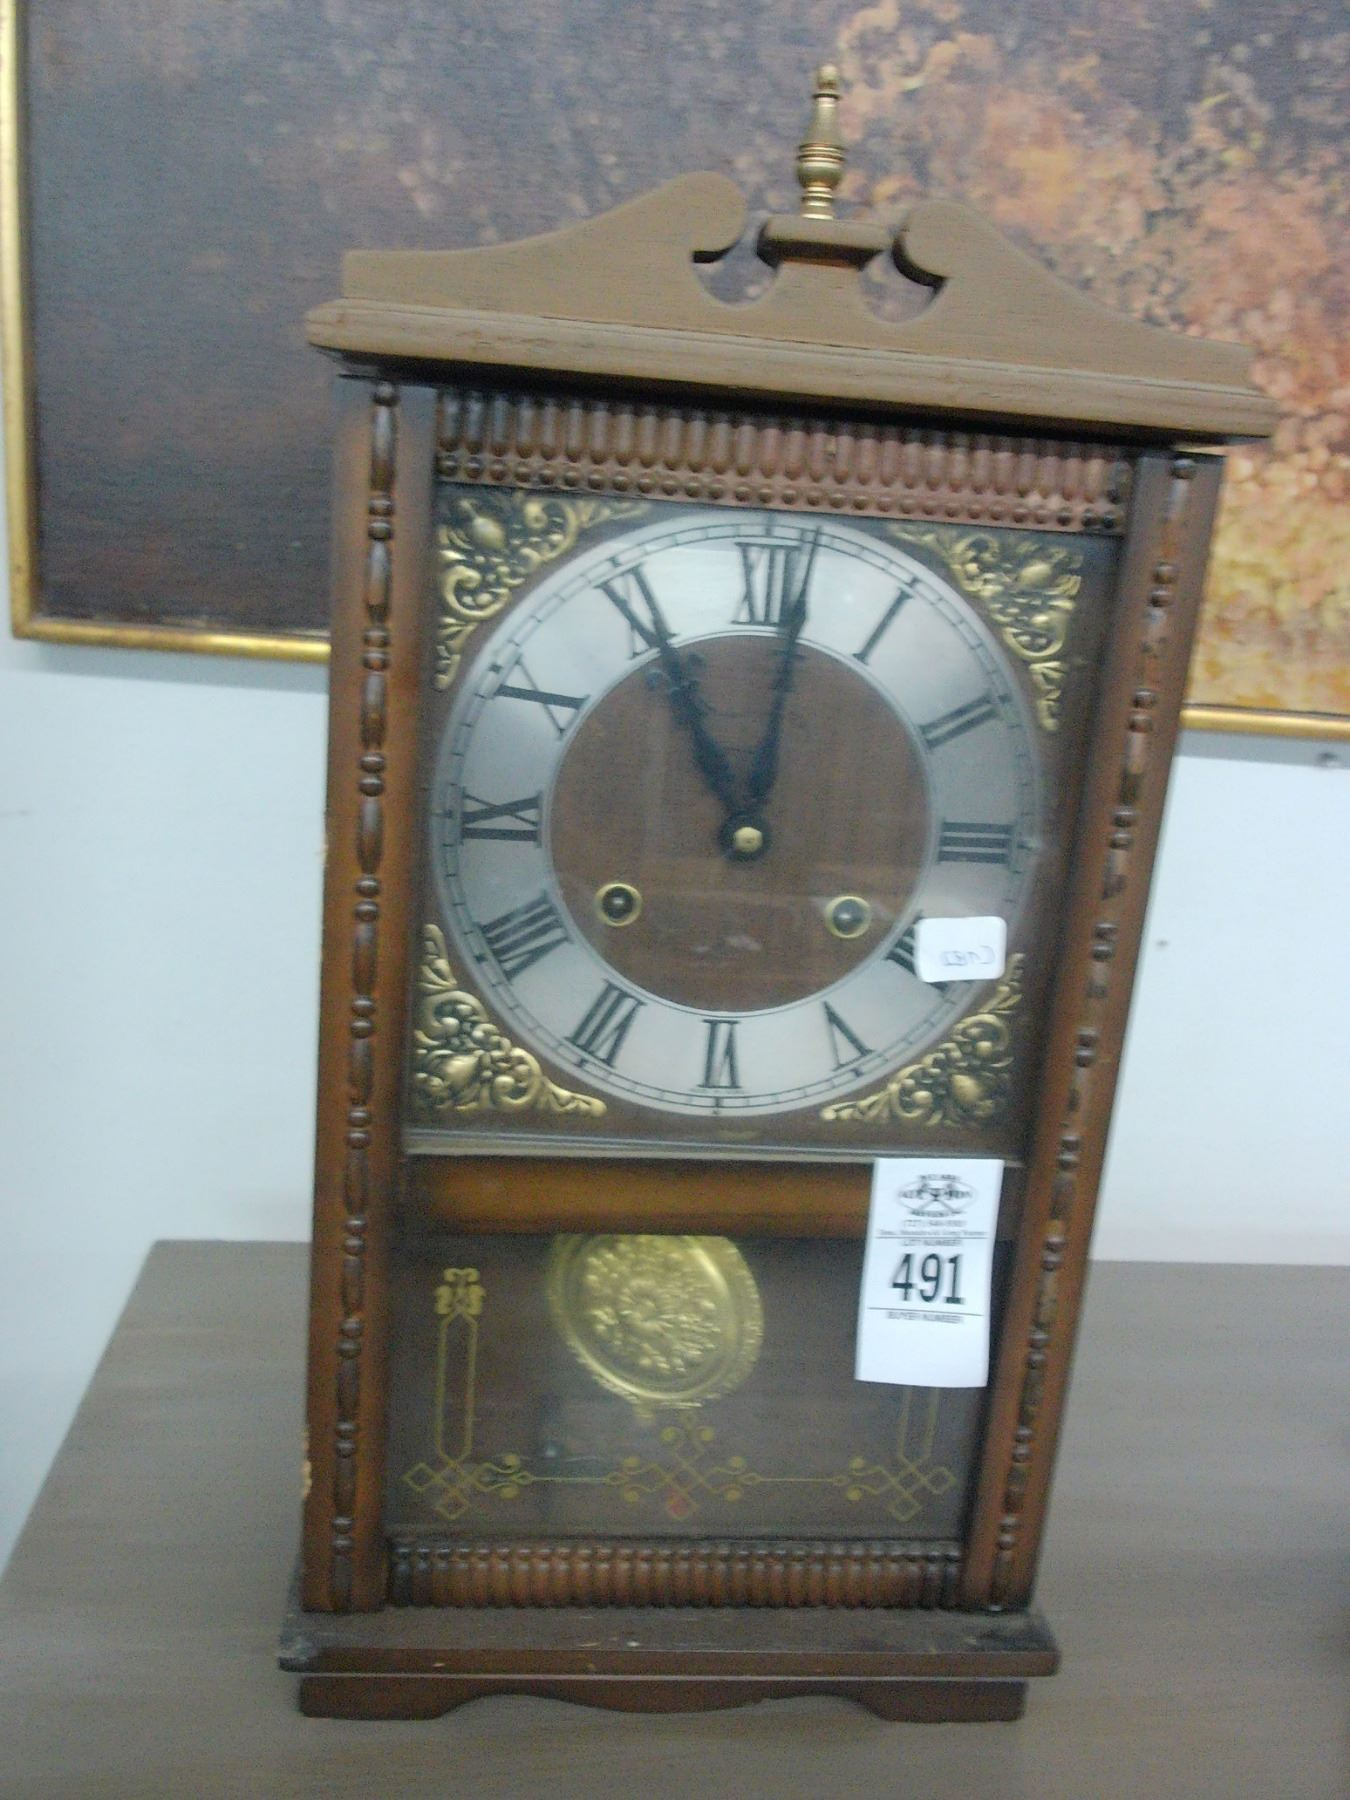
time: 11:01
